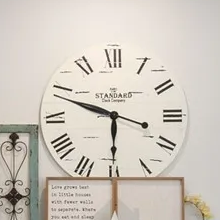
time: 5:48
